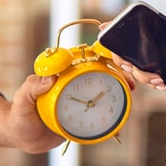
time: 1:49
